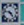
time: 4:47
